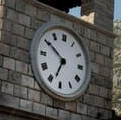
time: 6:50
